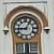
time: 9:05
